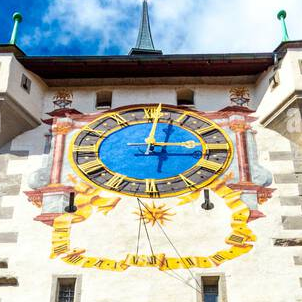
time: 3:01
